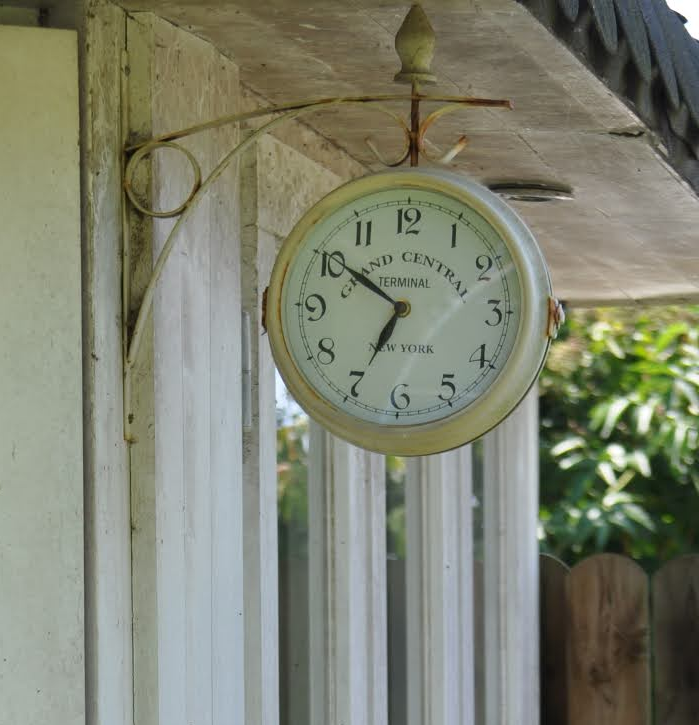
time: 6:50
